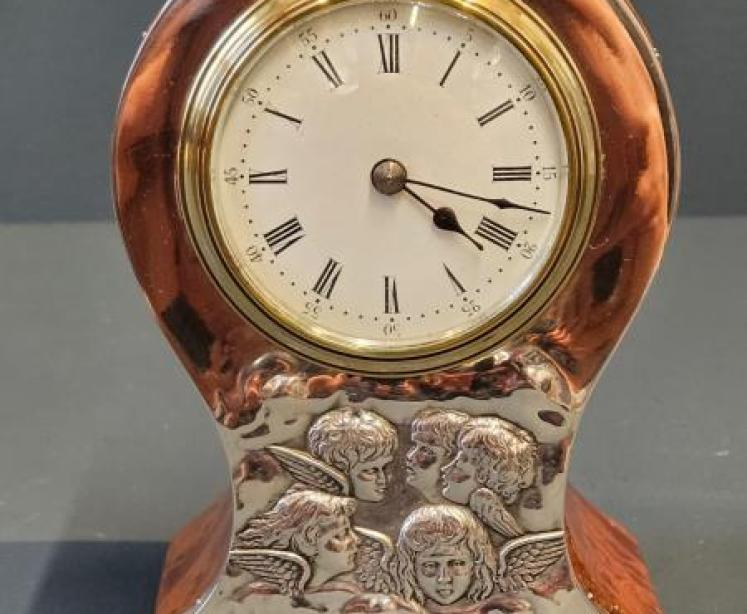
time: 4:17
